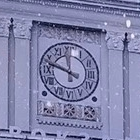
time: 11:48
